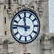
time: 11:46
